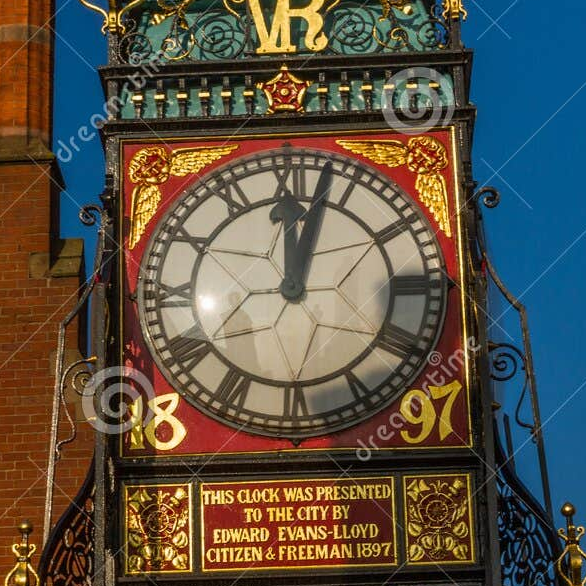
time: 12:02
